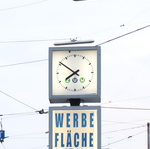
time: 7:50
